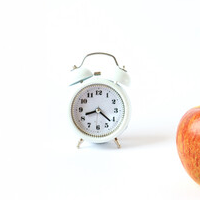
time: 8:21
